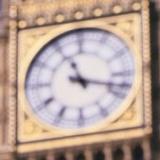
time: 11:17
